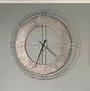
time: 4:33
